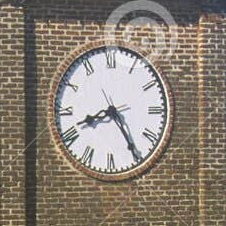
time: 8:24
